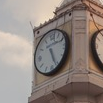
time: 5:26
